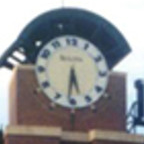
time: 5:31
